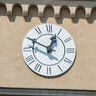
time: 12:49
